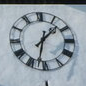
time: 1:32
